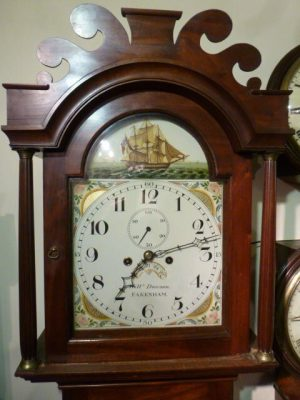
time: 7:12
